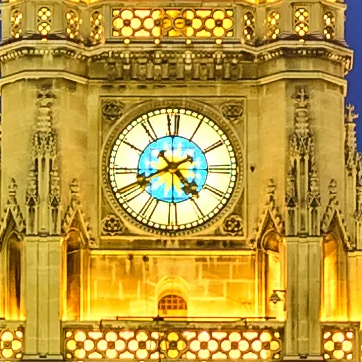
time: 4:40
